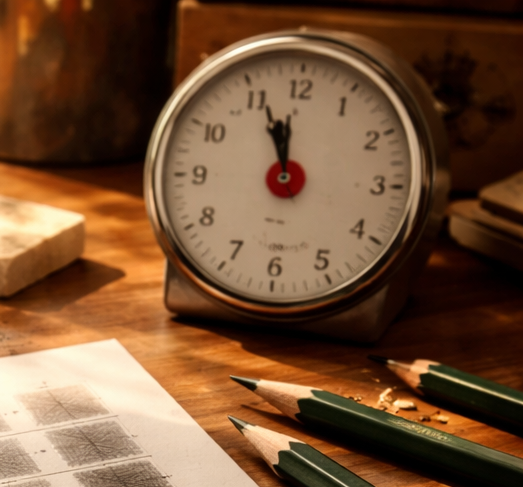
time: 11:56
